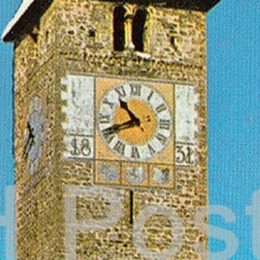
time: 10:41
